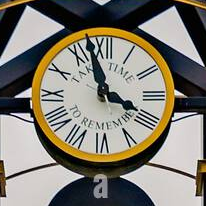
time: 3:57
